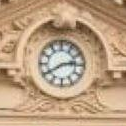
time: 2:40
